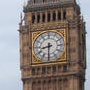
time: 8:30
